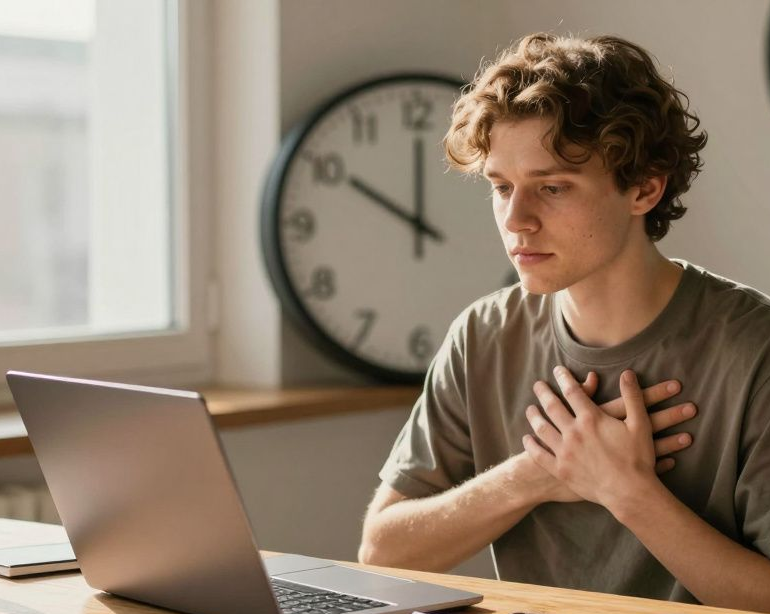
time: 10:00
